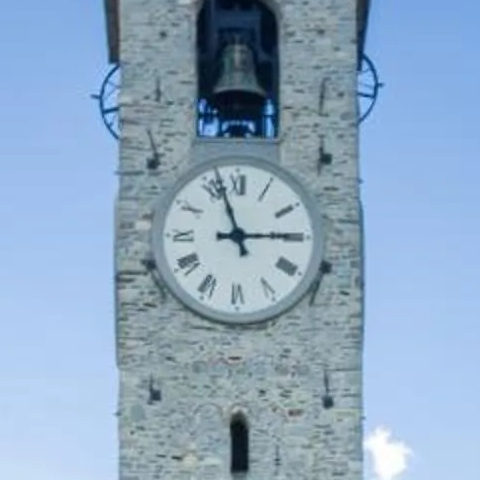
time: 2:56
